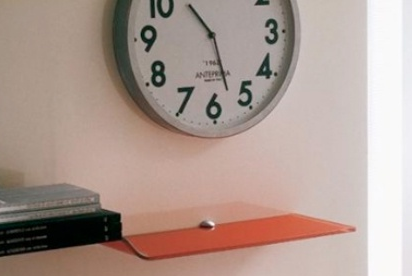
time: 10:27
